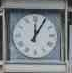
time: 12:05
